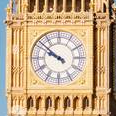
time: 9:51
